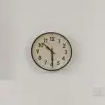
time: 10:29
